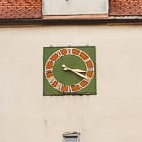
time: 3:20
